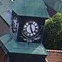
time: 4:57
